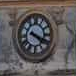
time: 4:18
